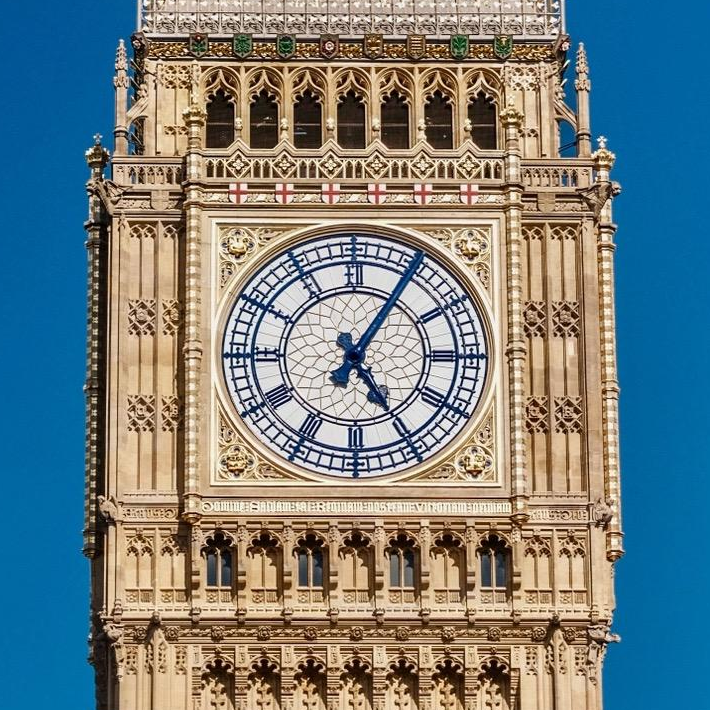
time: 5:05
